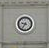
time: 9:36
